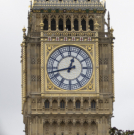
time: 12:42
